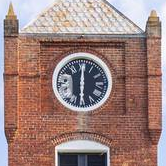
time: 6:00
